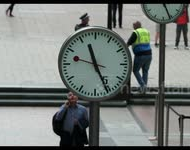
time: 11:25
